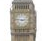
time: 2:46
